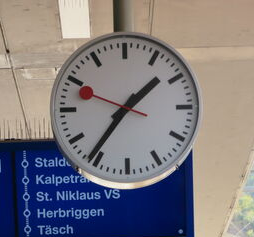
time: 1:36
